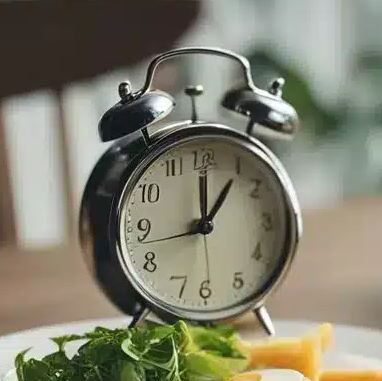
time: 12:06
